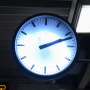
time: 2:11
